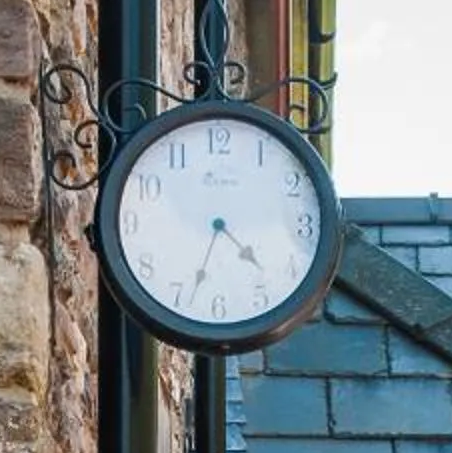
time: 4:33
